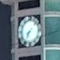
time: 7:34
